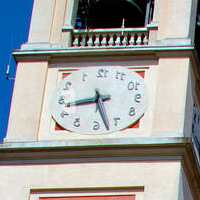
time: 8:27
